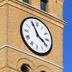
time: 3:55
